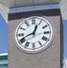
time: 12:41
